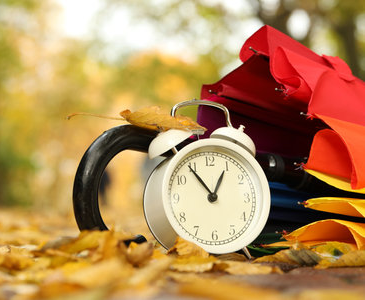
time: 12:54
